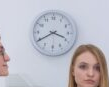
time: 3:40
